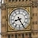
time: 8:25
